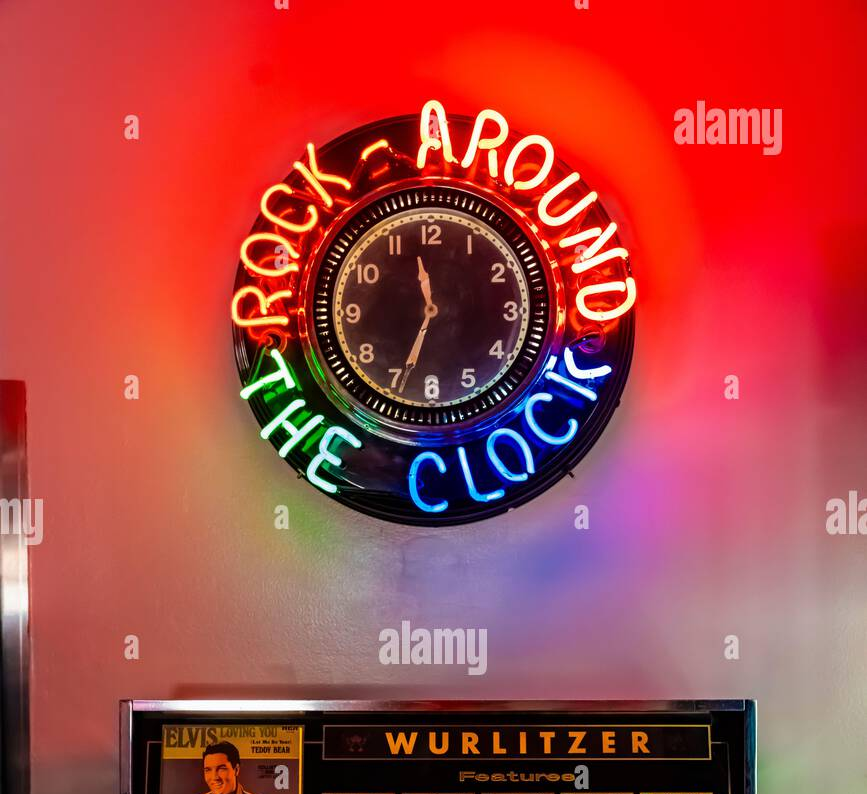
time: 11:33
